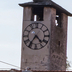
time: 4:36
